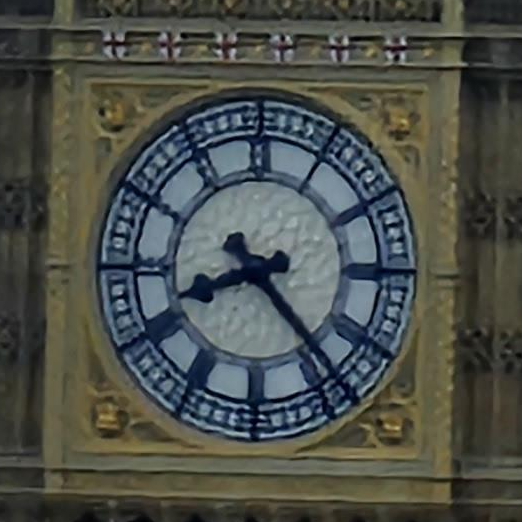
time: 8:23
